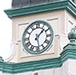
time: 1:28
